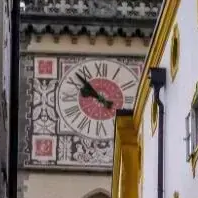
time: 9:52
